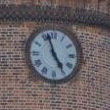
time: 4:56
